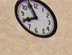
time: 7:55
